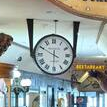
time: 5:49
